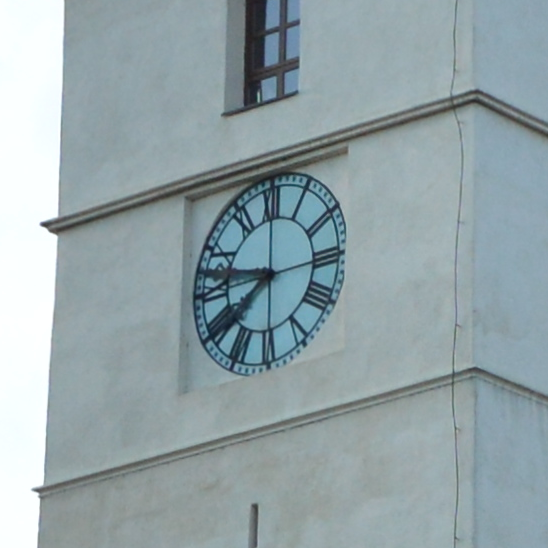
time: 7:46
